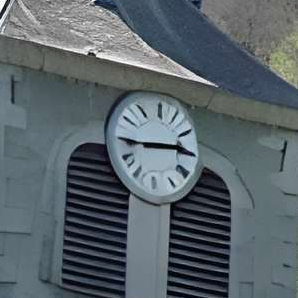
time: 2:44
